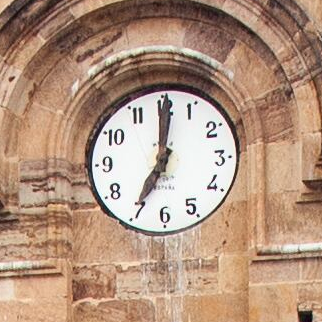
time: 7:00
